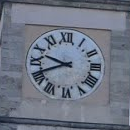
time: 9:41
